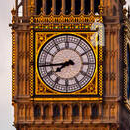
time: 7:44
